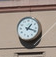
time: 1:18
